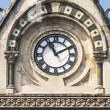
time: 11:10
